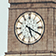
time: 5:19
